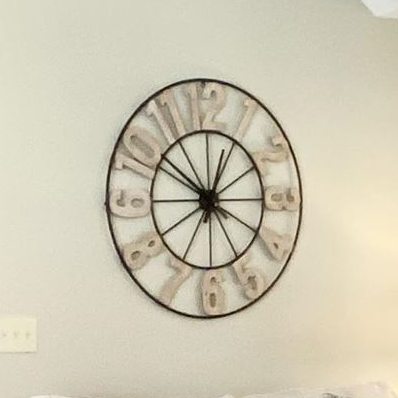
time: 12:51
